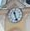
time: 11:26
